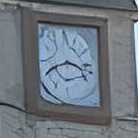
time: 3:40
